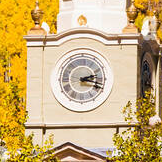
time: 2:18
